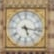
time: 5:16
